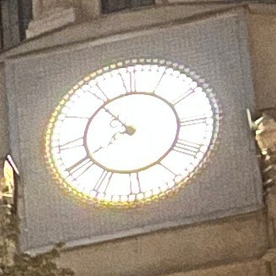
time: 10:40
